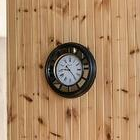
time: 9:23
